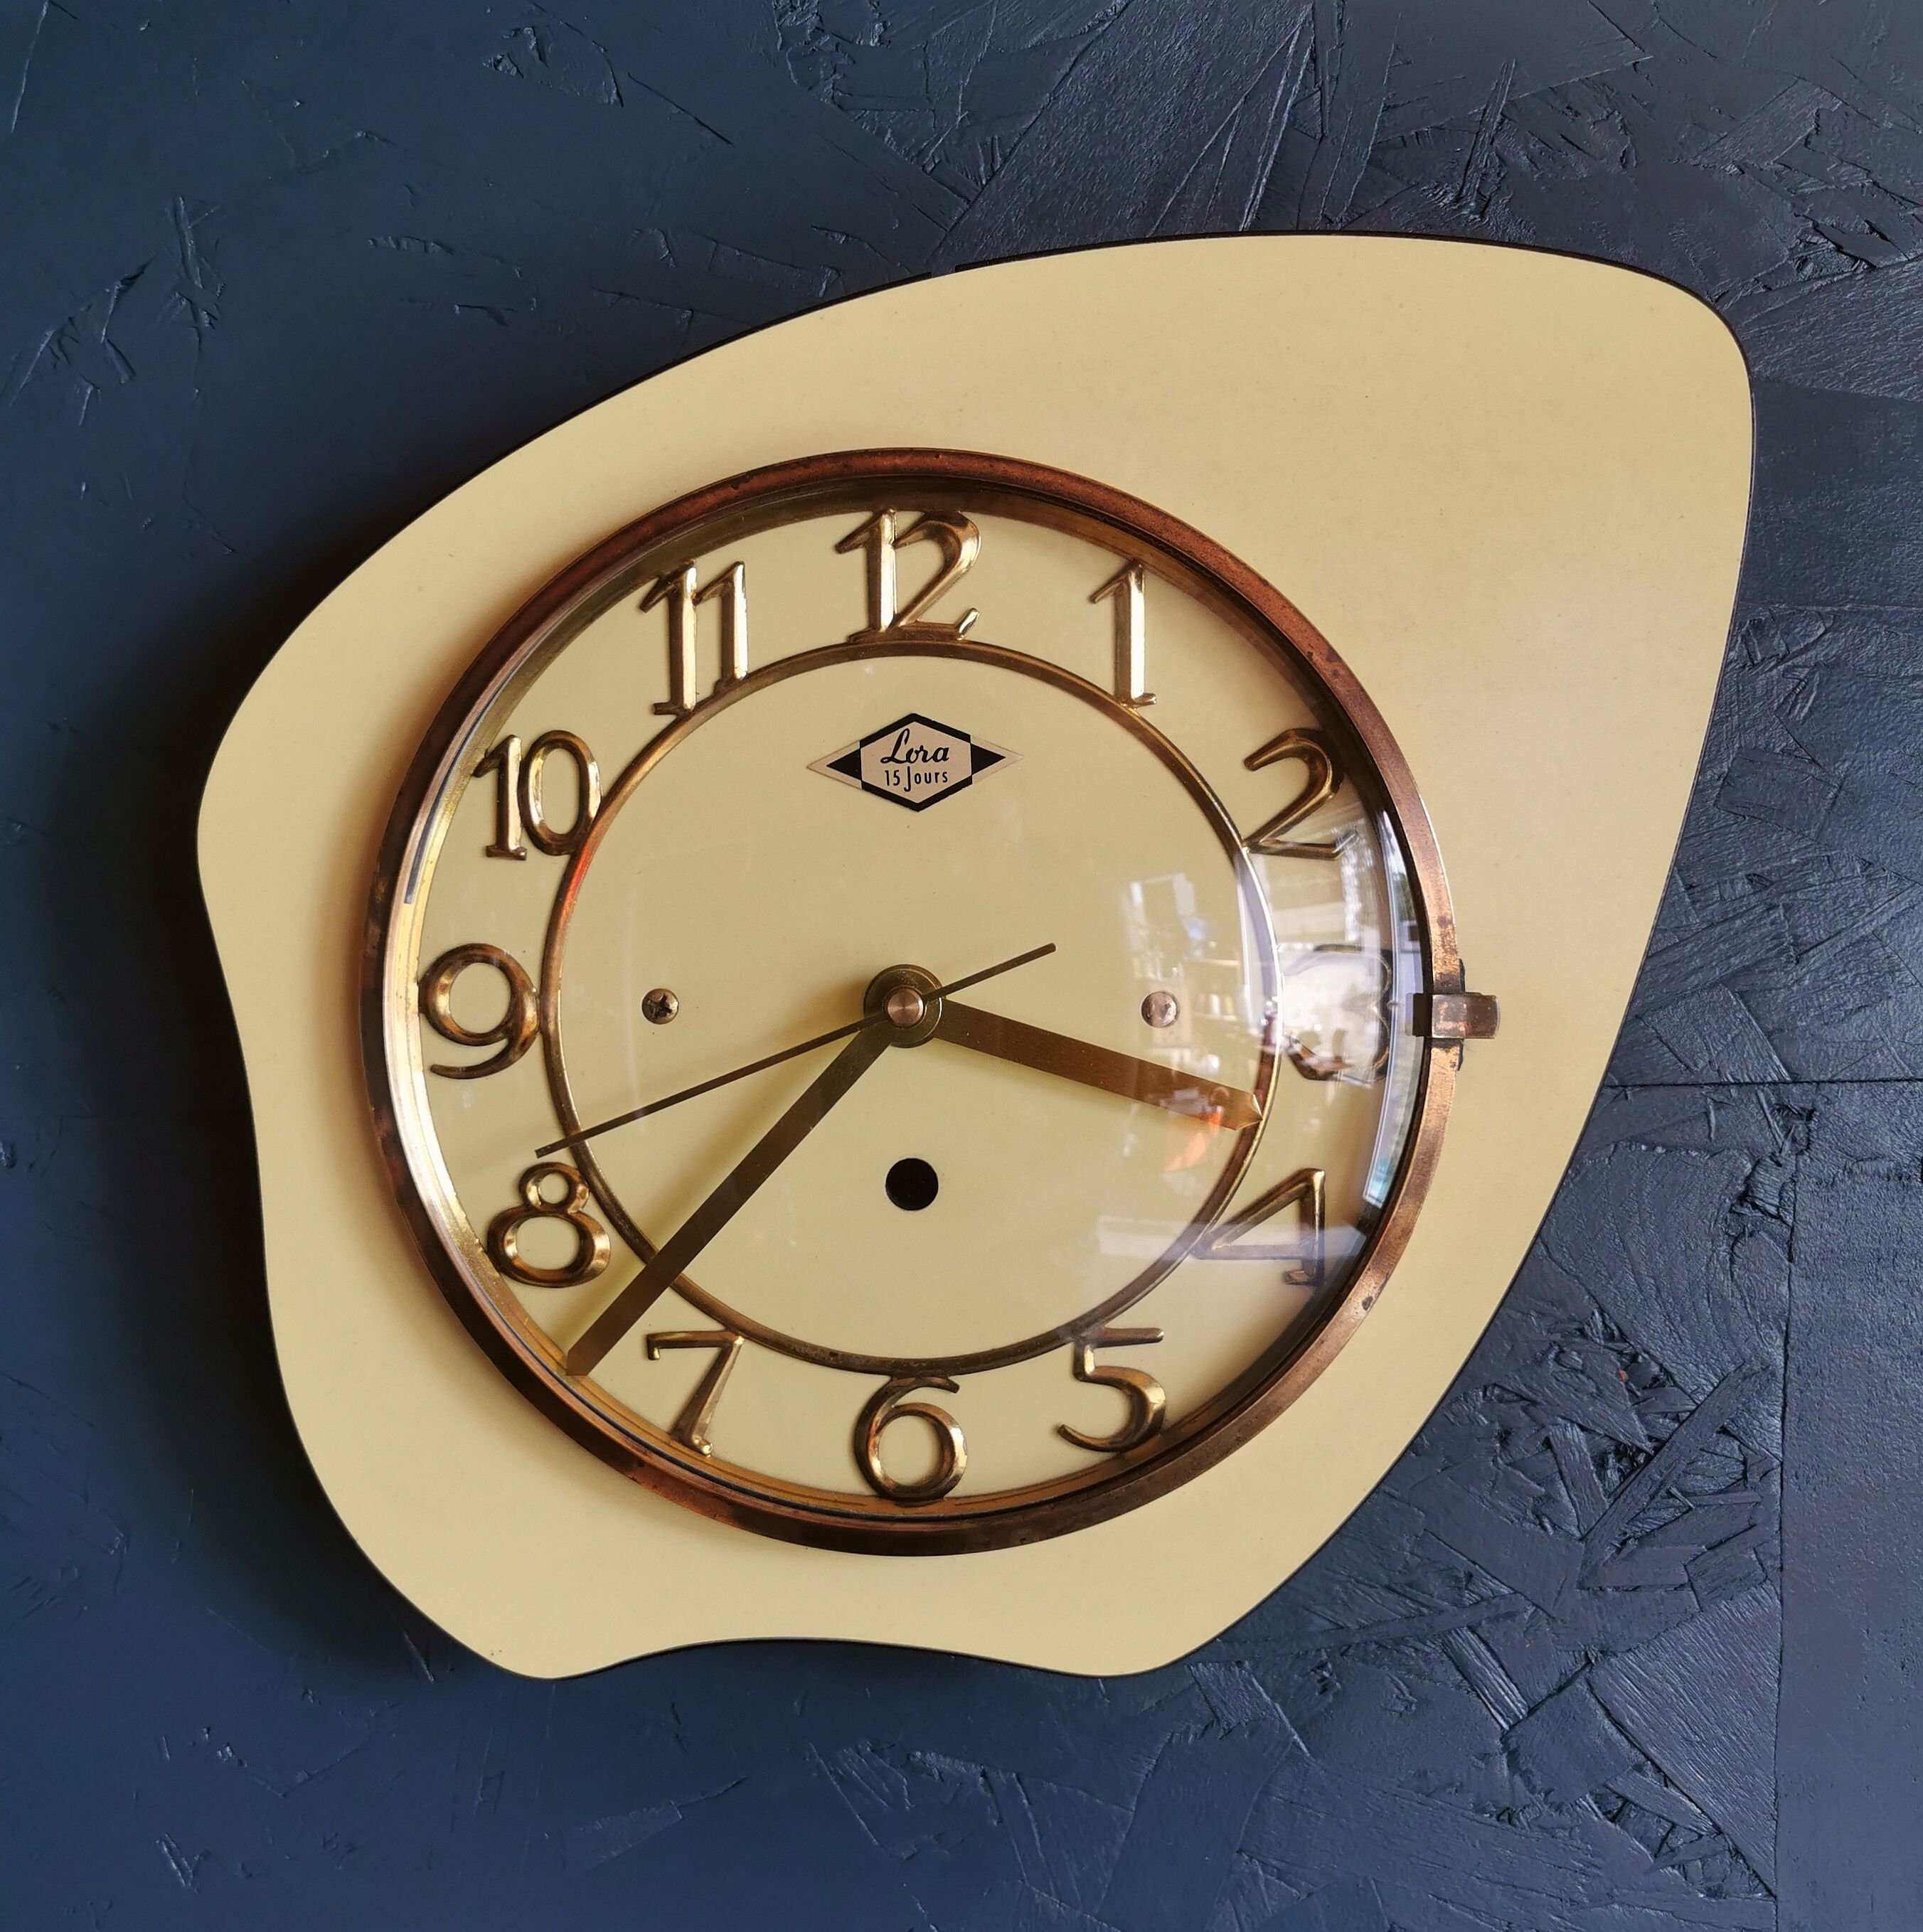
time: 3:37
